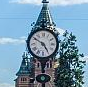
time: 4:50
